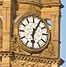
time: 6:05
